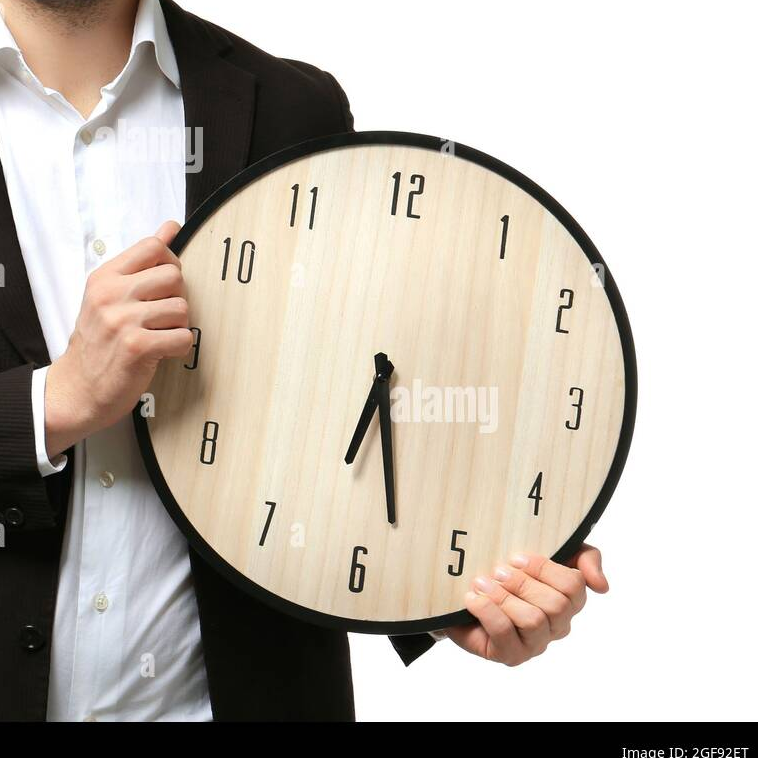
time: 6:27
